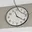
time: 11:21
